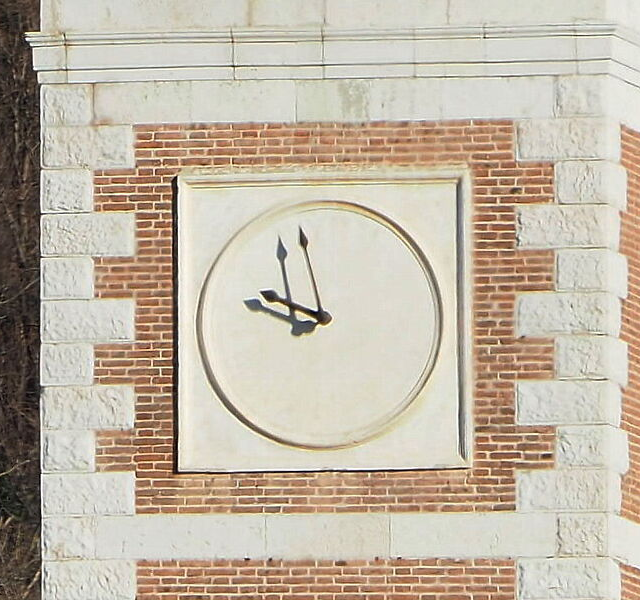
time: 9:57
